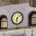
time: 6:08
